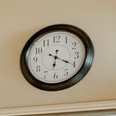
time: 6:20
